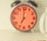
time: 7:00
